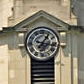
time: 1:16
